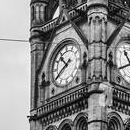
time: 10:39
